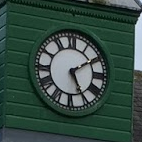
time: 5:09
